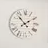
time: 1:53
